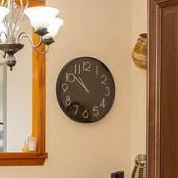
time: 10:51
